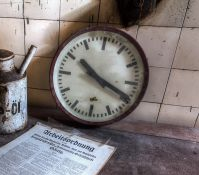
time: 10:19
